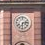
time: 6:13
